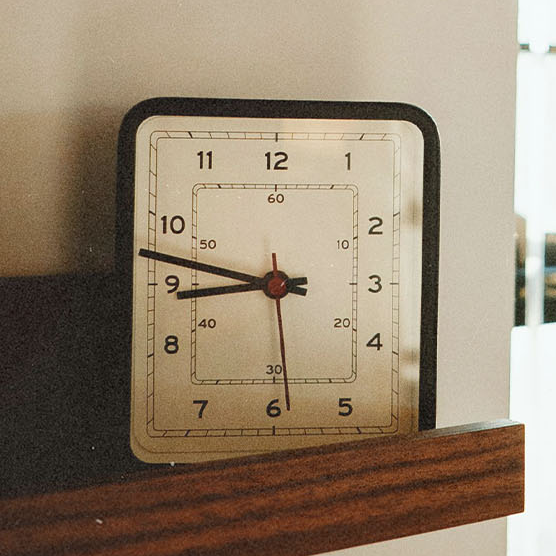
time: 8:47
